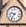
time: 9:35
